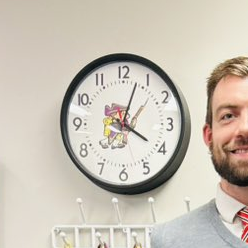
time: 4:03
